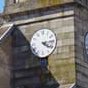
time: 4:14
